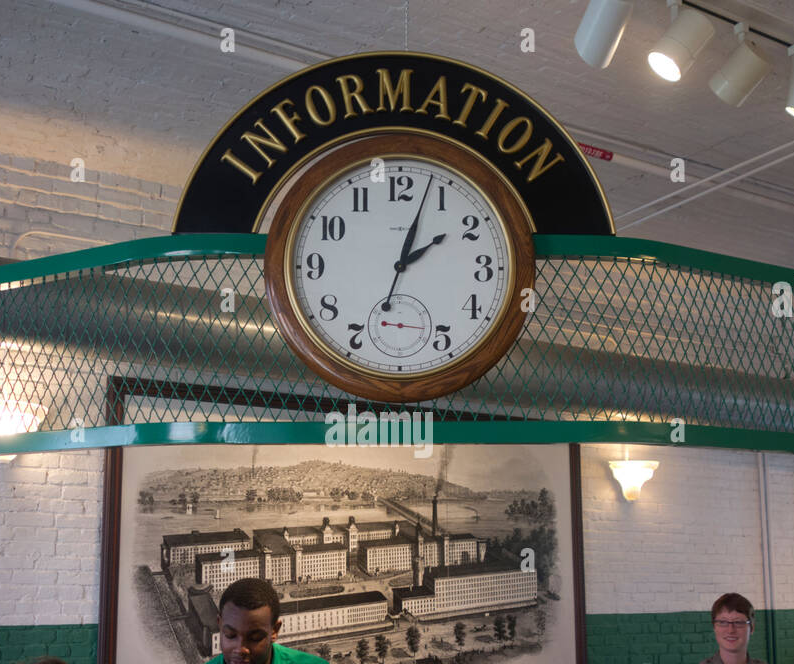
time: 2:03
